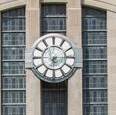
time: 6:14
